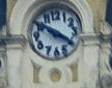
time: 3:50
